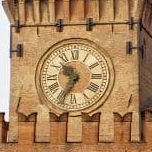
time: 10:34
